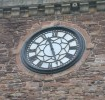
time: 11:26
